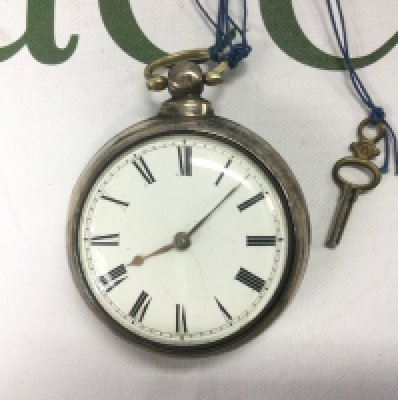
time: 8:07
